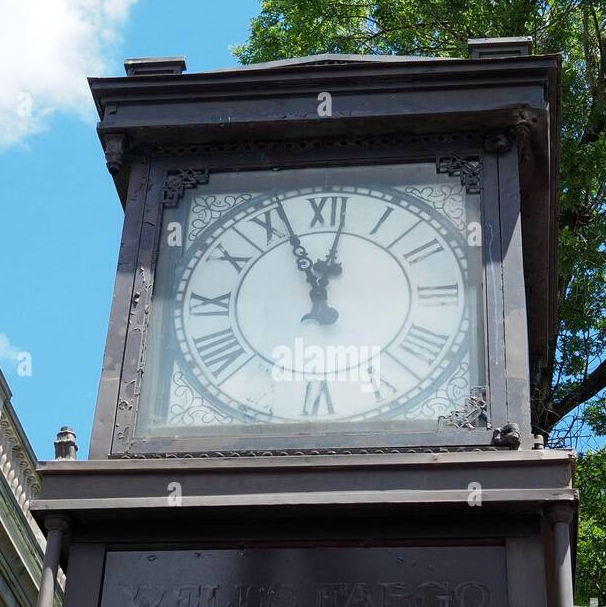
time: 11:56
